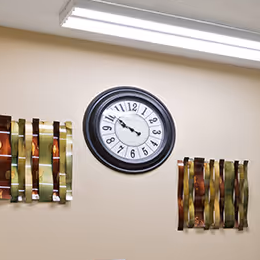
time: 9:50
